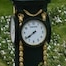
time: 7:39
